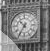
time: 10:35
